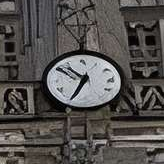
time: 10:34
